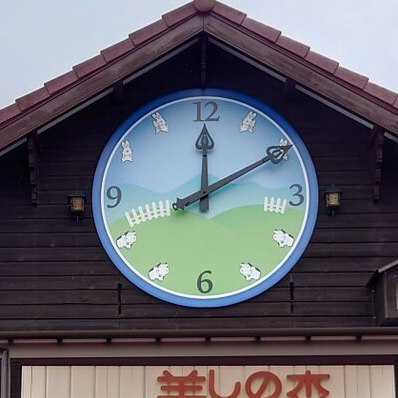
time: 12:10
